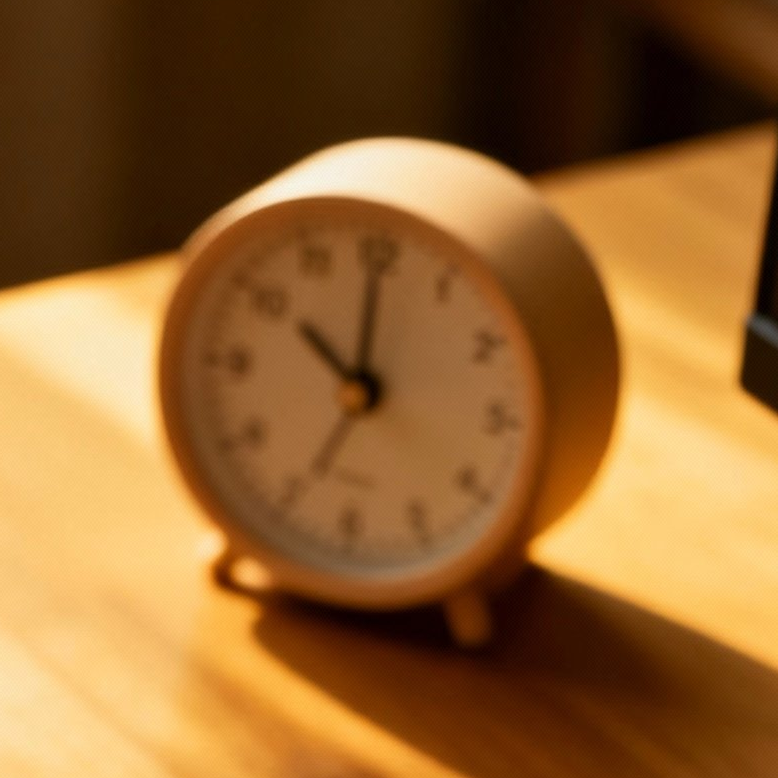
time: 10:00
